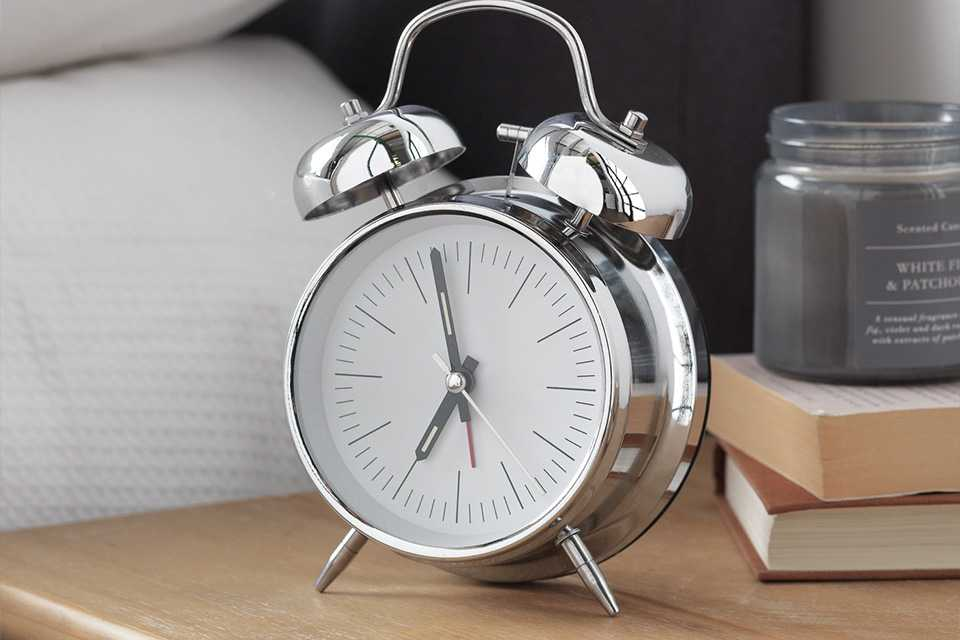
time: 6:58
